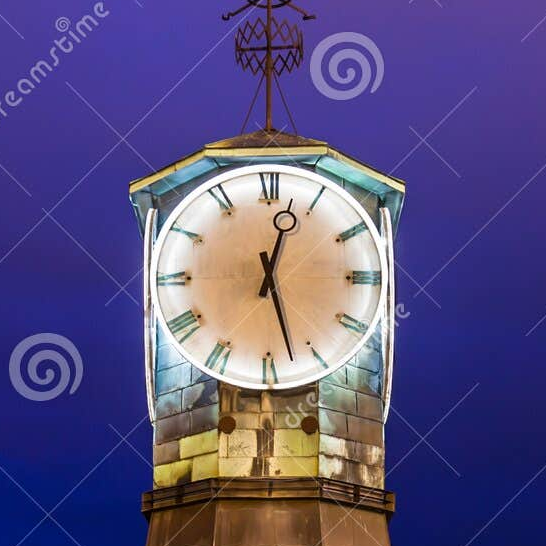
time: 12:27
